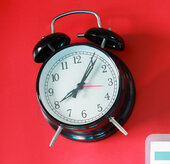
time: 8:06
